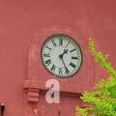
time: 1:25
